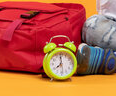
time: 7:59
